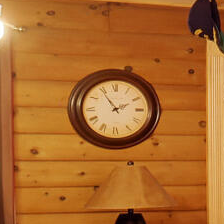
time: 1:54
